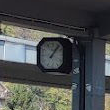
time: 1:06
